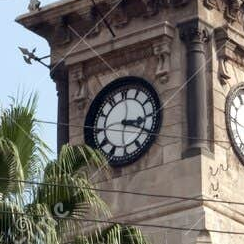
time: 3:19
